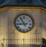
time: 8:54
